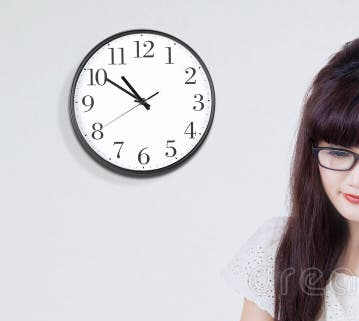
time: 10:50
